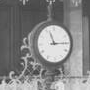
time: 11:14
